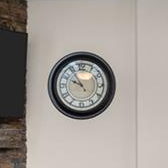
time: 9:54
